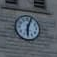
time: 6:03
